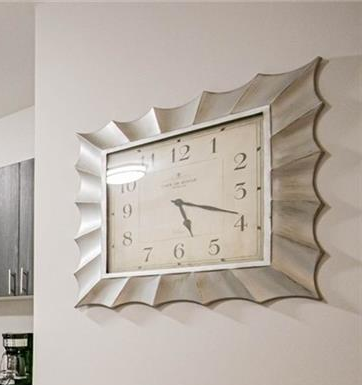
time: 5:18
